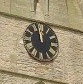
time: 11:57
